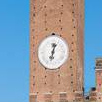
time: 12:32
